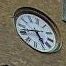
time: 4:41
